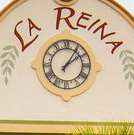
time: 1:09
